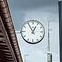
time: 12:55
